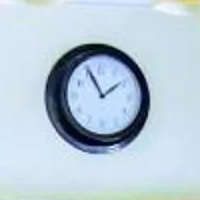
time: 1:55
